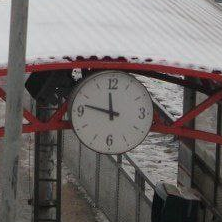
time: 11:47
